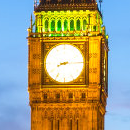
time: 8:14
